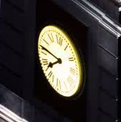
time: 7:46
